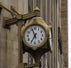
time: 6:56
